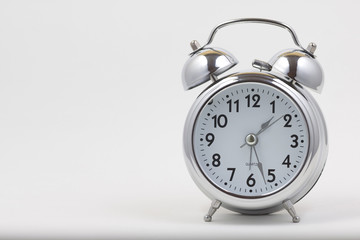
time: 1:26
